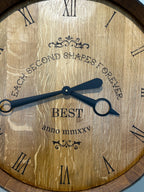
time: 3:43
